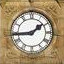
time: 1:44
